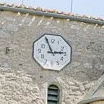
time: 2:56
